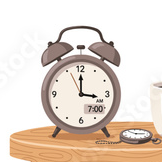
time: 3:00
